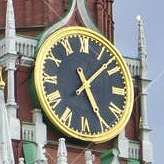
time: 5:07
